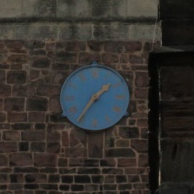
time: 1:35
